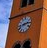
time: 2:42
